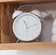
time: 11:12
